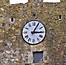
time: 3:05
